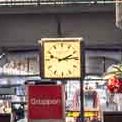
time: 2:13
